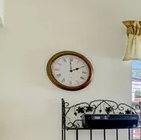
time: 1:59
